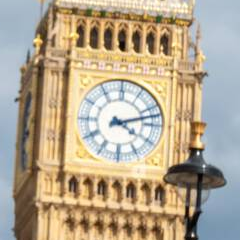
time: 4:12
